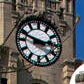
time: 2:48
